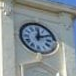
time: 12:11
